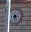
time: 8:32
